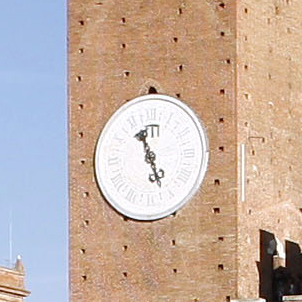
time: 11:26
